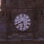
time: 5:40
